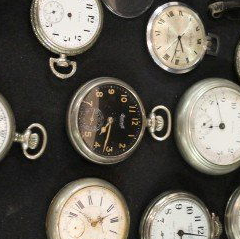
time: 7:32
